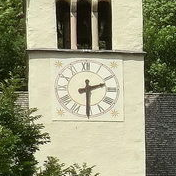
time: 2:30
